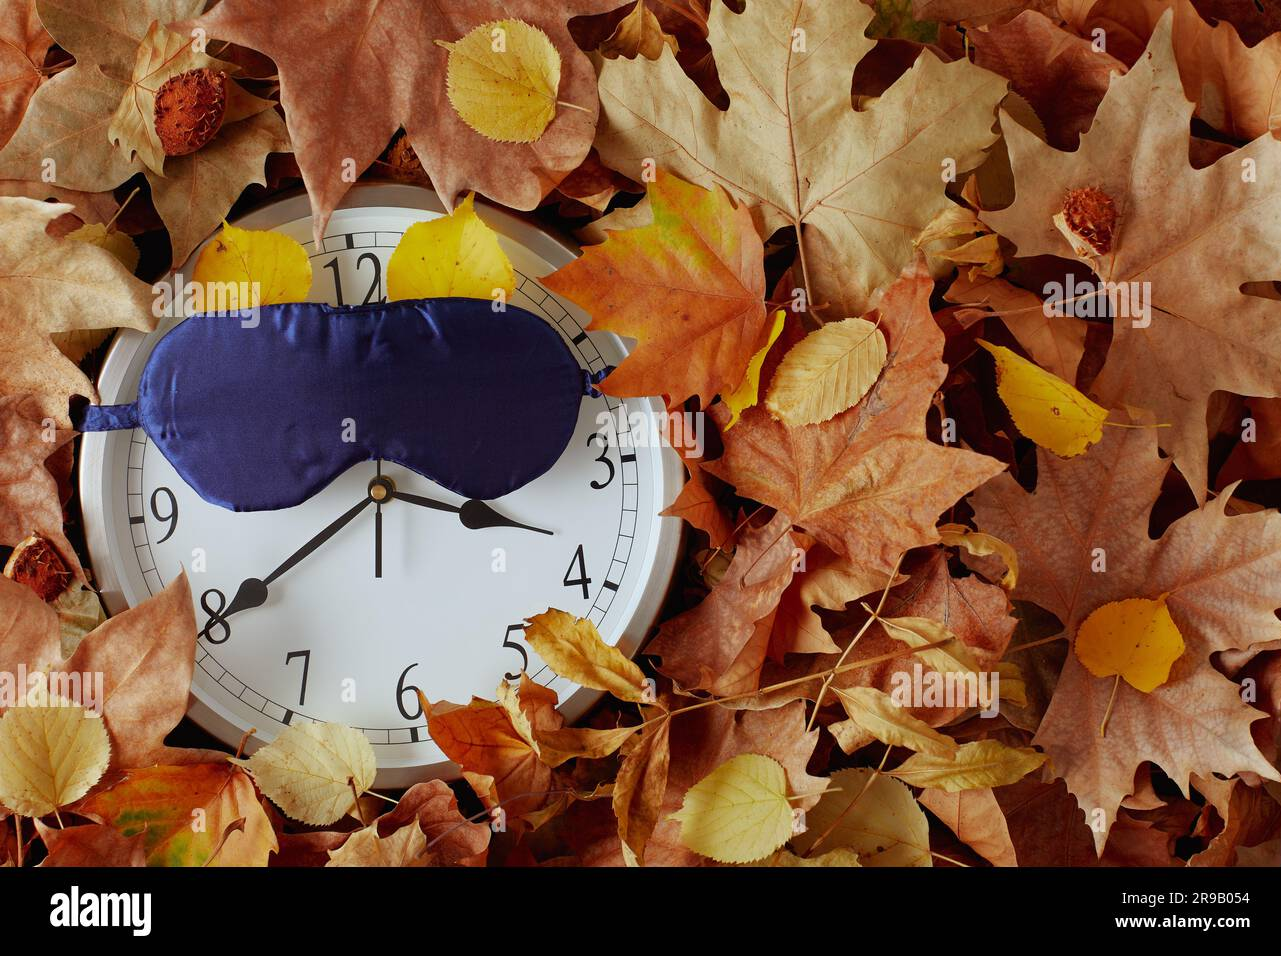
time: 3:39
